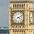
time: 4:10
